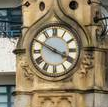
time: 3:49
